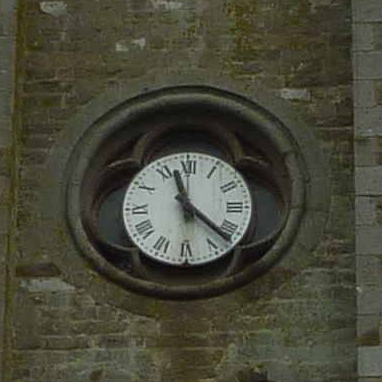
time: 11:21
